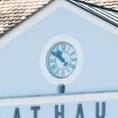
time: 10:50
